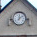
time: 12:08
